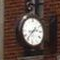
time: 8:37
